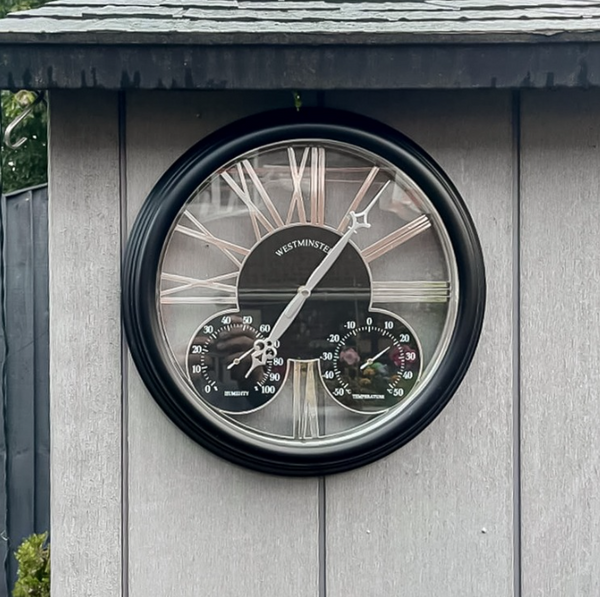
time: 7:06
